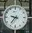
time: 9:36
